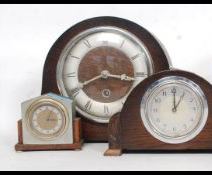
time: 8:16
